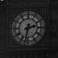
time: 2:32
